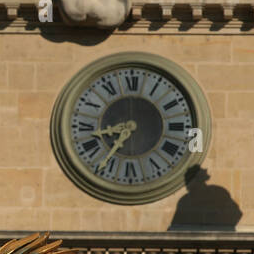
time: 8:36
